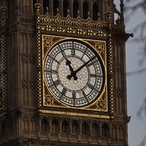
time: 11:08
